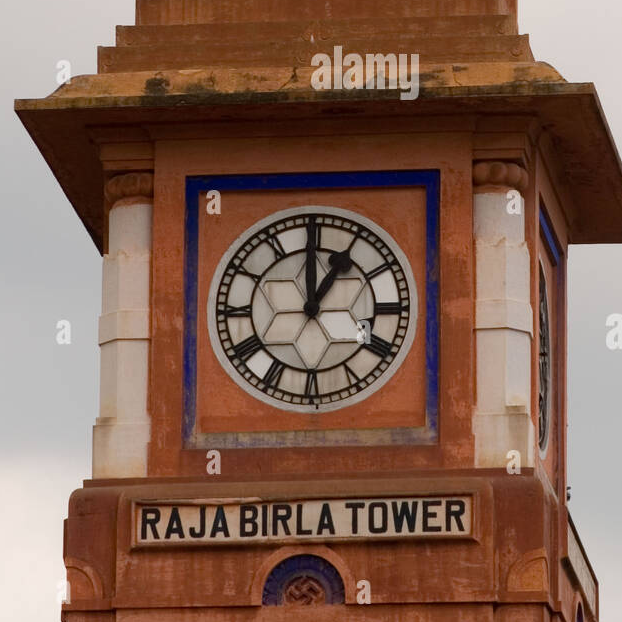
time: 12:59
